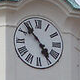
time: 4:53
